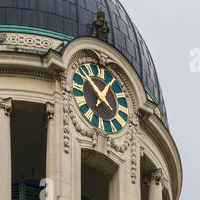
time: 12:52
